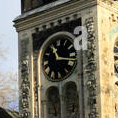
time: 11:17
